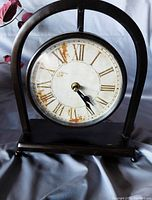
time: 4:23
